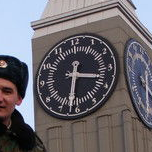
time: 3:32
